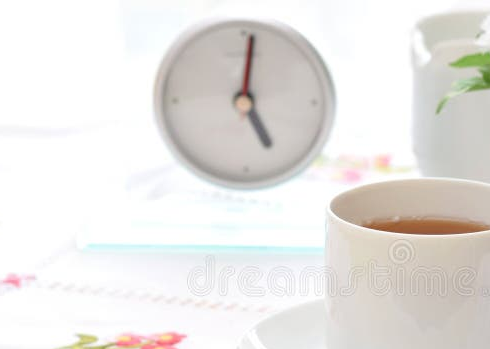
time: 5:01
